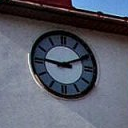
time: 9:10
